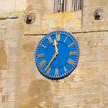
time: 11:35
